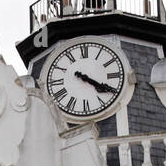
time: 4:19
